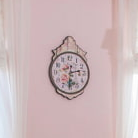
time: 6:13
